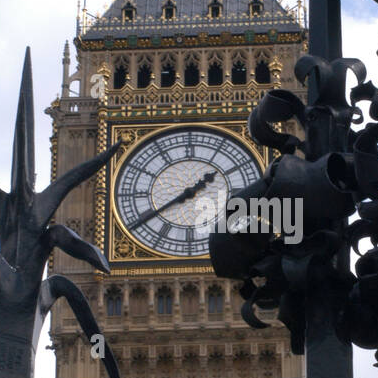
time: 1:39
